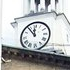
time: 11:53
